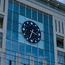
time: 3:33
